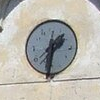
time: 1:30
